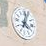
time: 4:02
